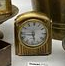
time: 5:43
